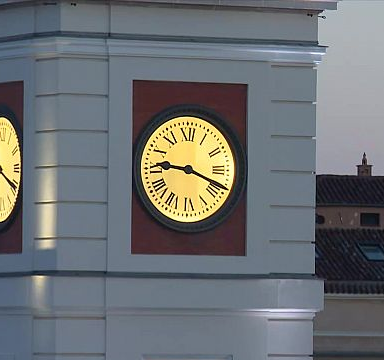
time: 9:18
